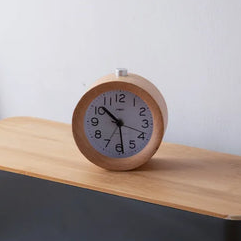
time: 10:28
